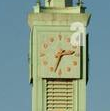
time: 2:33
